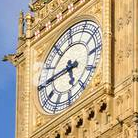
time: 5:45
